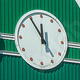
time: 11:54
